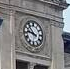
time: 3:46
